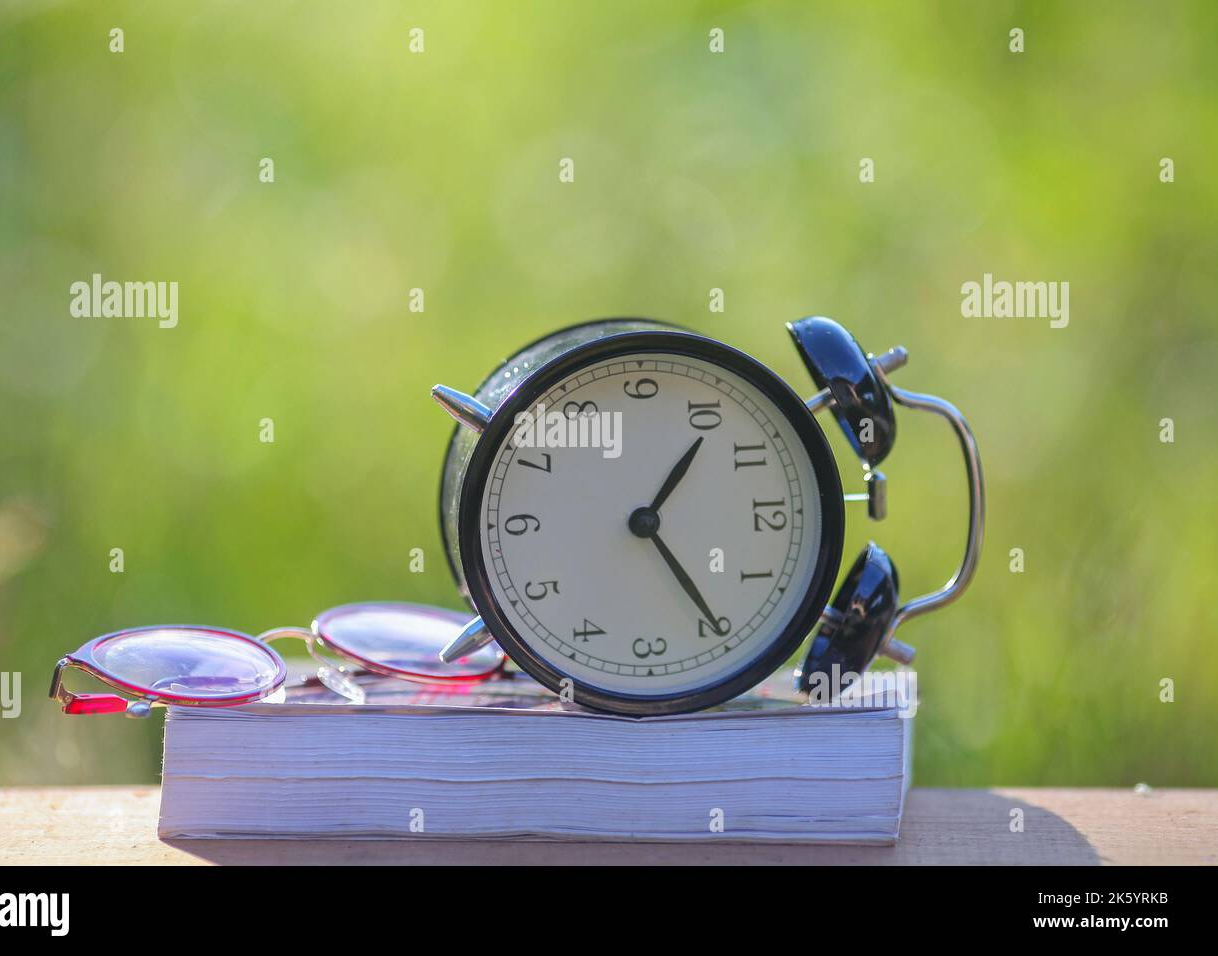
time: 1:24
